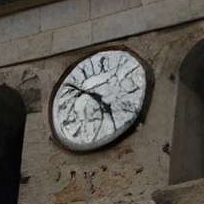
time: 4:50
